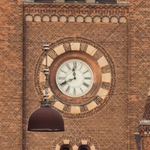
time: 11:40
